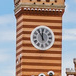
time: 10:59
